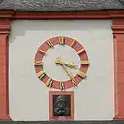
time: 3:24
